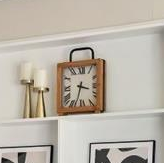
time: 3:33
